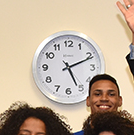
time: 5:11
